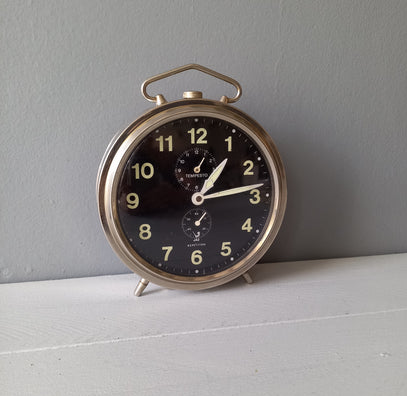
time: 1:13
